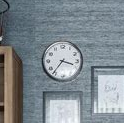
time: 3:36
